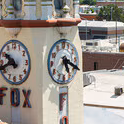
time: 5:19
